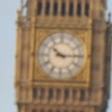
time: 10:14
